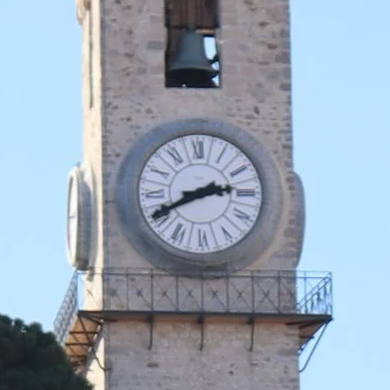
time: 2:40
